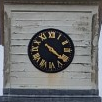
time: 4:21
